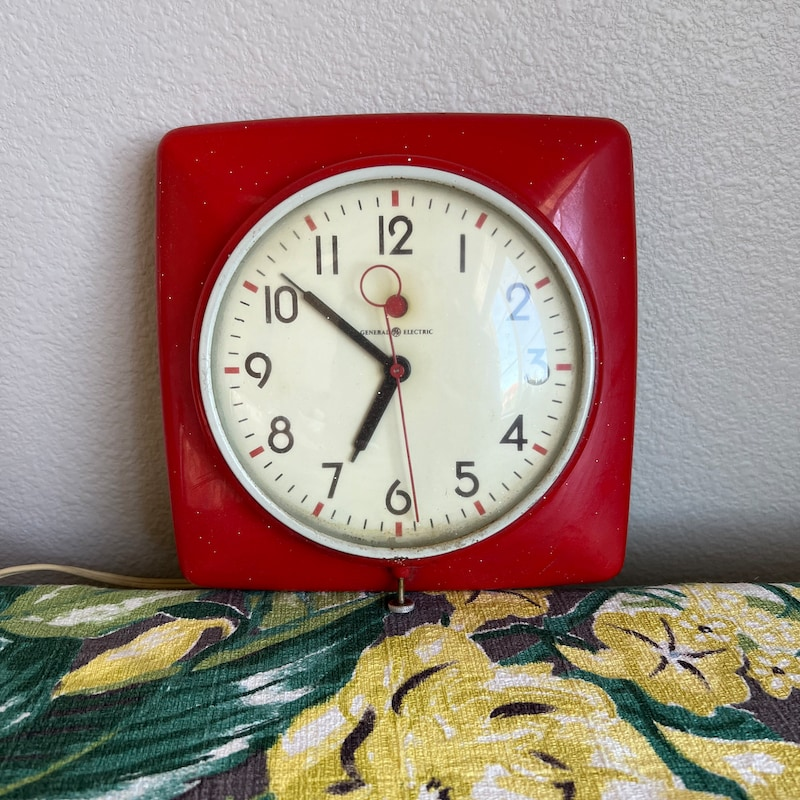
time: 6:51
